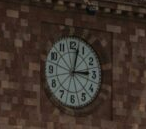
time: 3:02
